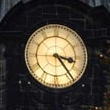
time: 3:23
